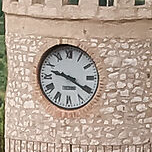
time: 9:20
